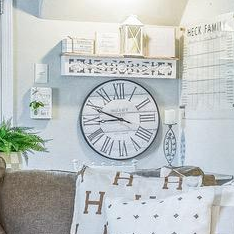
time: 8:49
